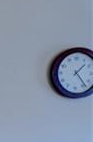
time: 1:23
